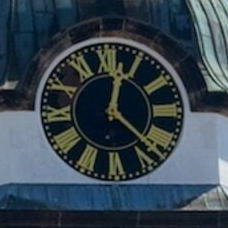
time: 12:22
